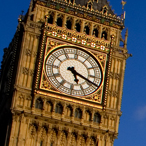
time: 5:18
